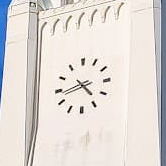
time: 4:42
